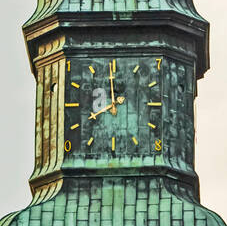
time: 7:59
